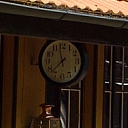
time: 11:37
